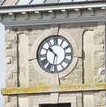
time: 10:32
